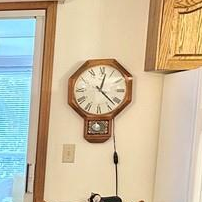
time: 12:22
